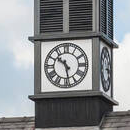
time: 10:28
